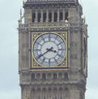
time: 3:39
